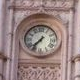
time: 7:36
